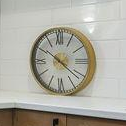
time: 10:21
